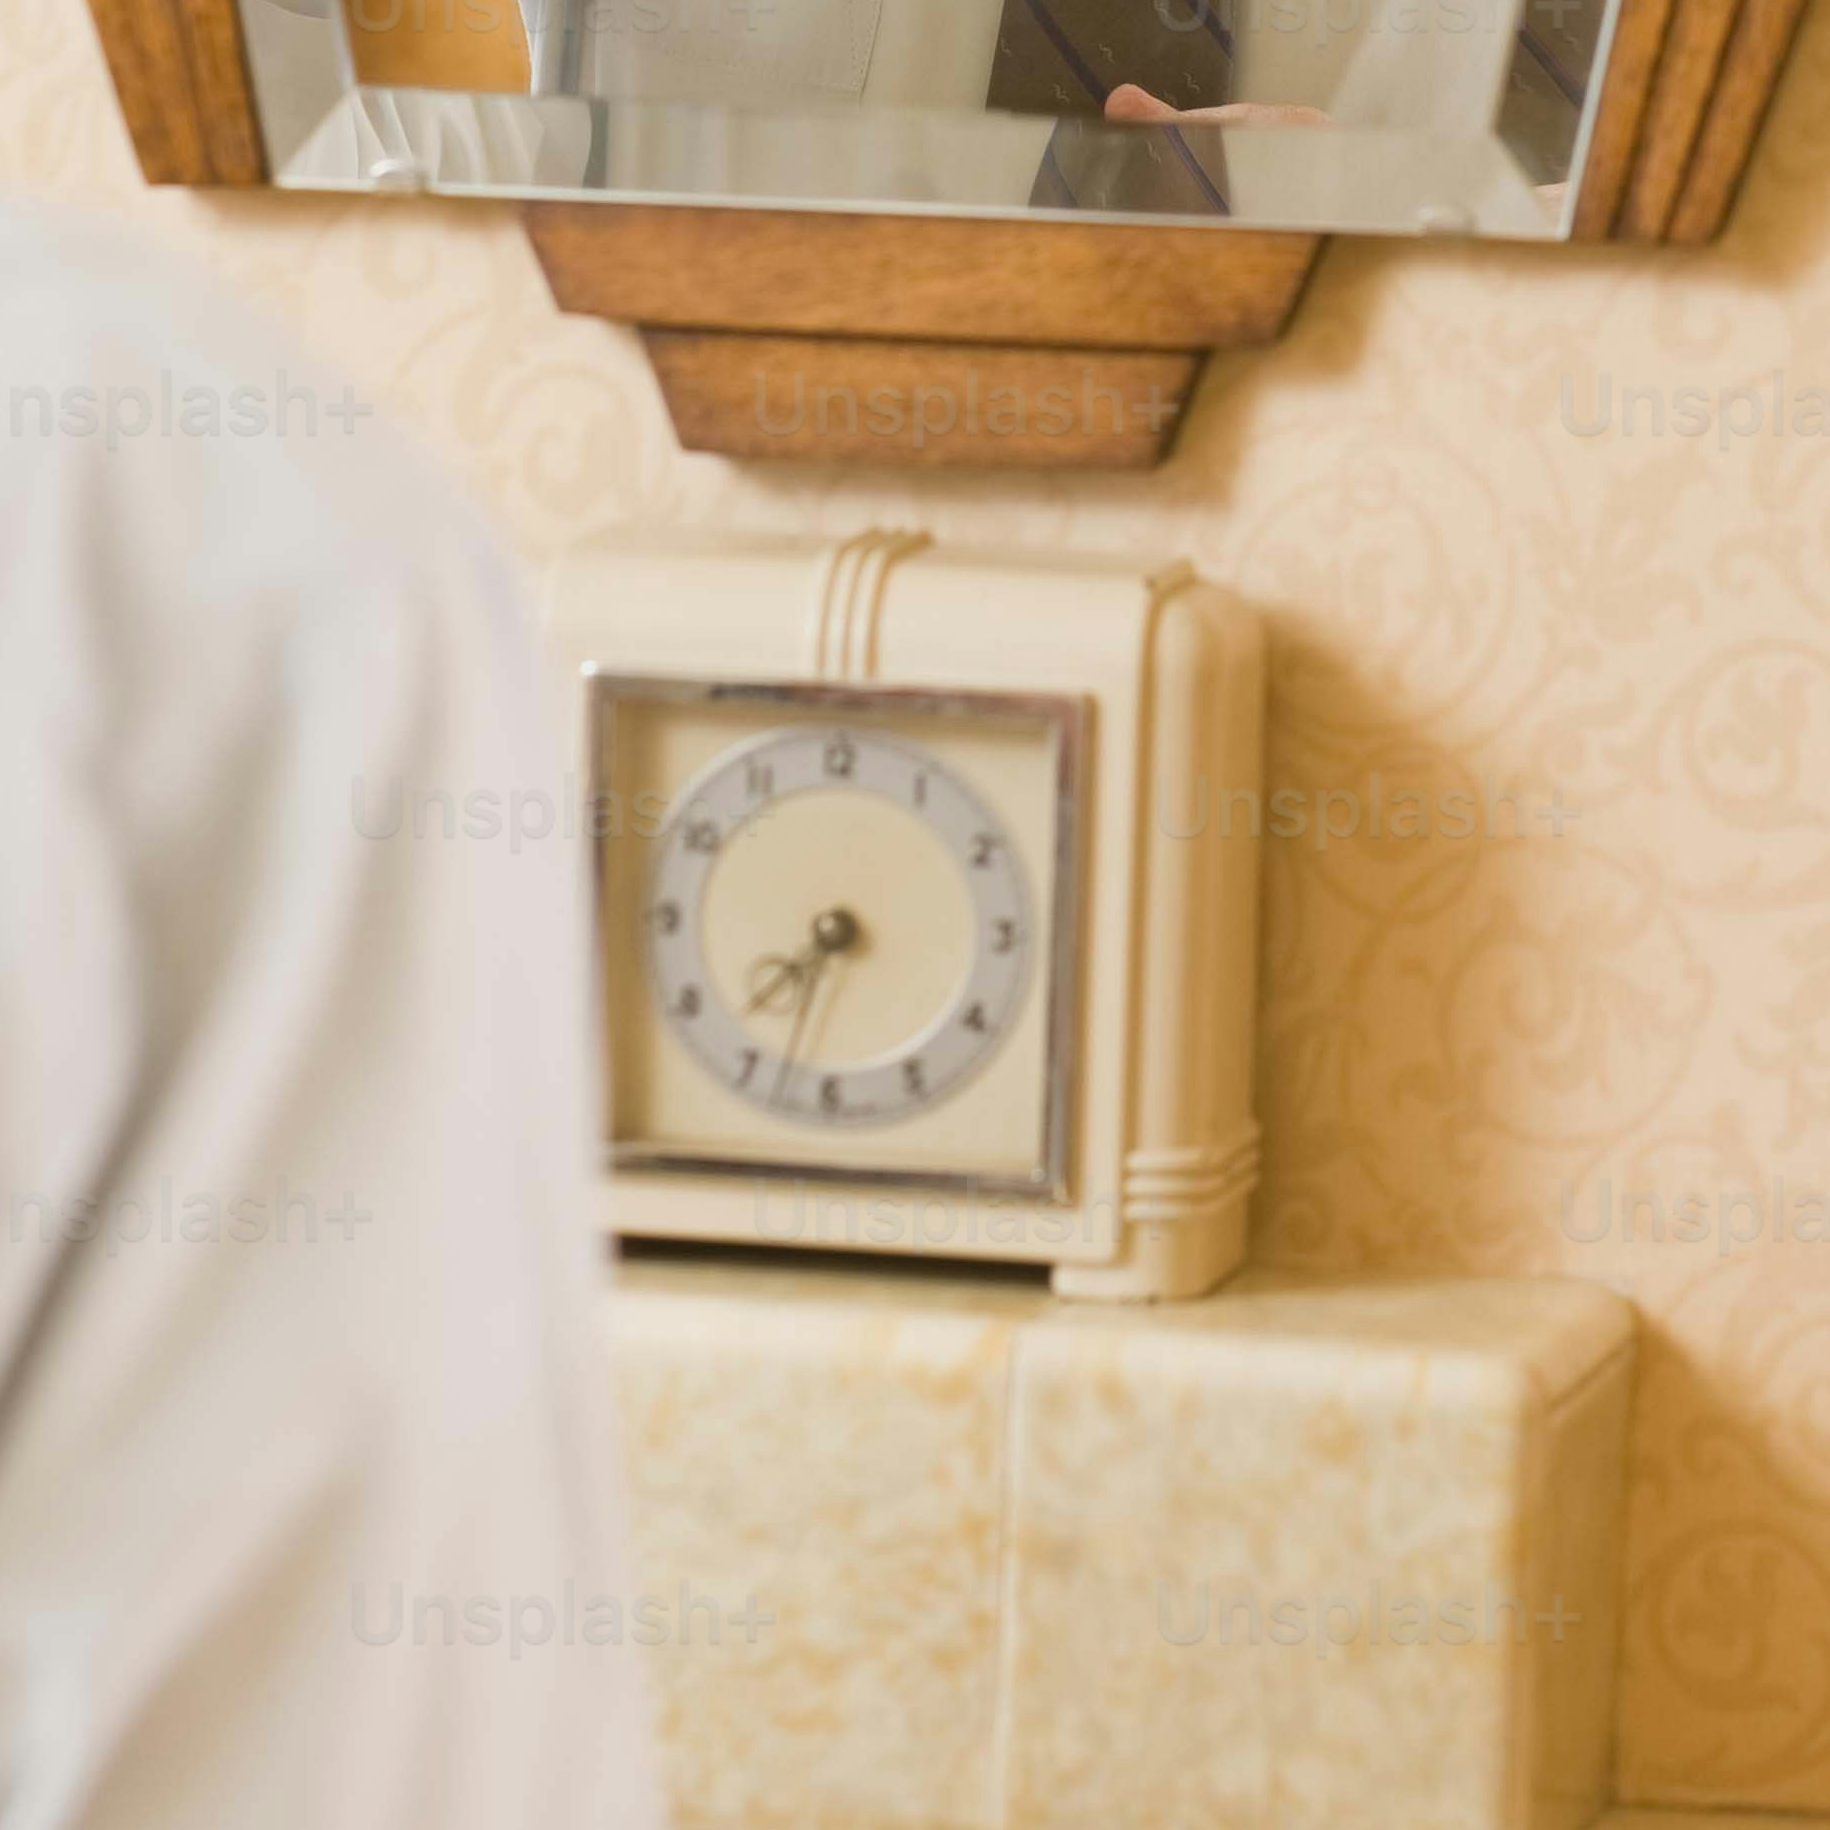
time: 7:33
